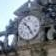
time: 10:24
